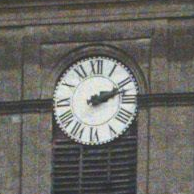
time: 2:11
